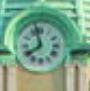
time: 7:57
